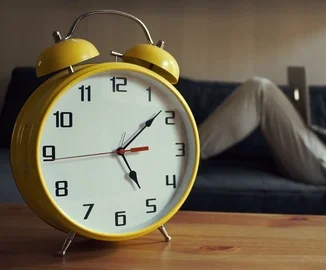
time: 5:08
